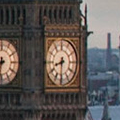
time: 8:30
